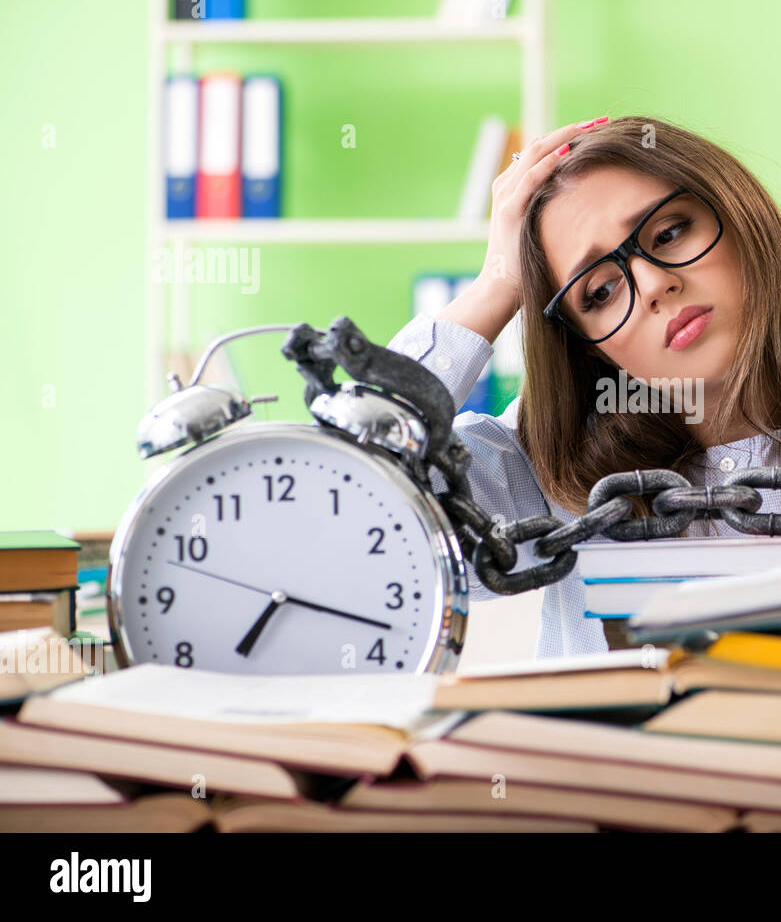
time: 7:17
